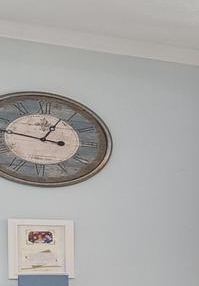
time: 12:46
